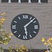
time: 1:28
